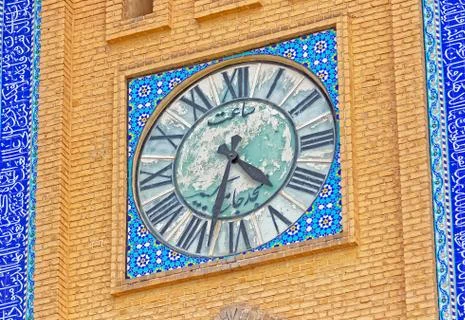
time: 4:33
